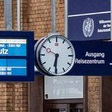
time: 6:30
